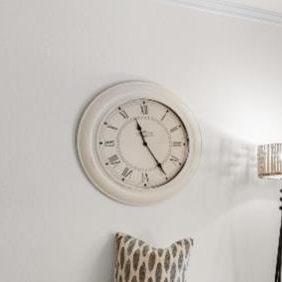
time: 11:24
